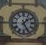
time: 1:25
